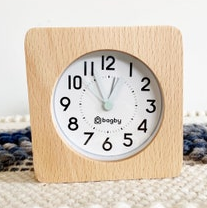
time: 12:55
